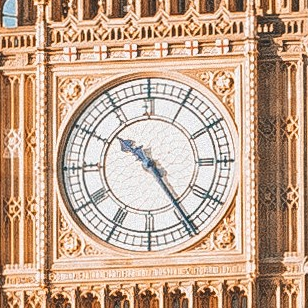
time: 10:24
